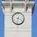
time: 3:32
